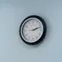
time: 2:12
